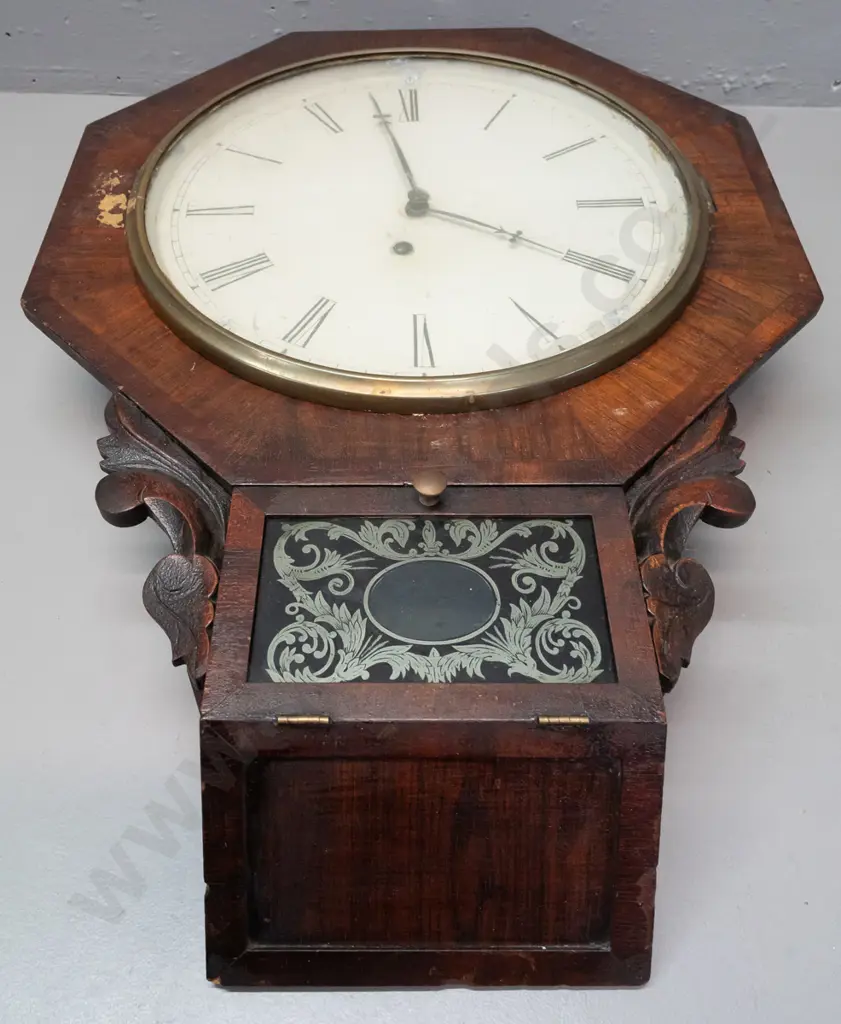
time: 3:58
